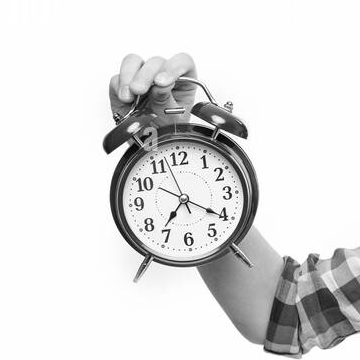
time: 7:20
